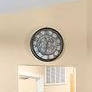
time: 6:32
